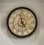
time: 4:57
